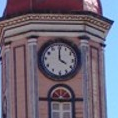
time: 4:00
